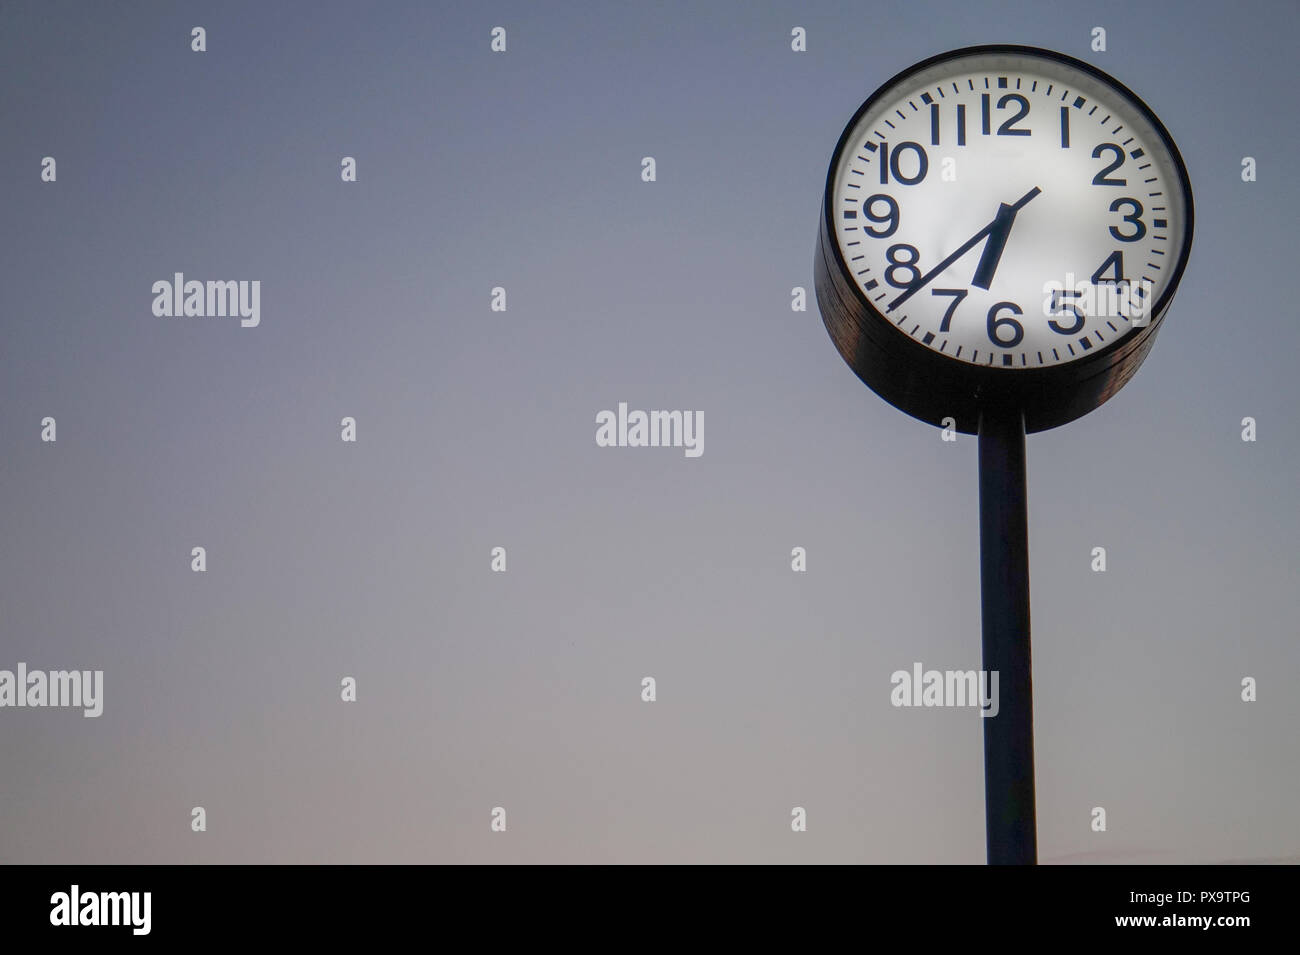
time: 6:38
